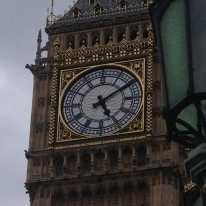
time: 5:09
